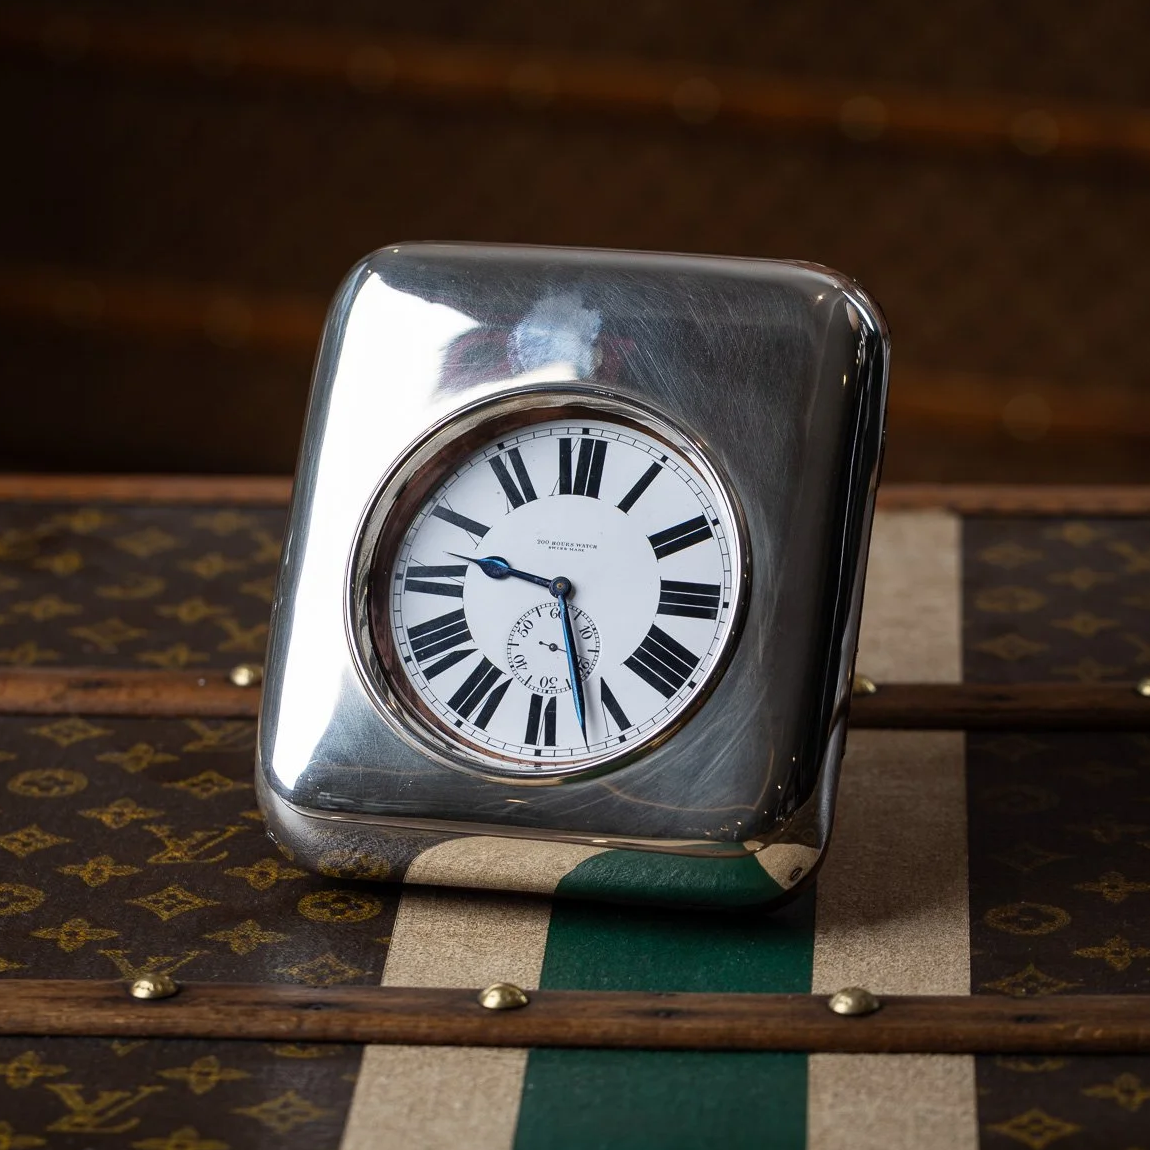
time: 9:27
